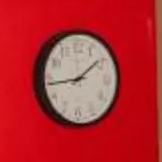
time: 1:43
